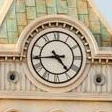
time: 4:44
